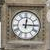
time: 12:15
